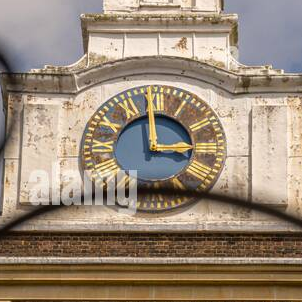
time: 2:59
